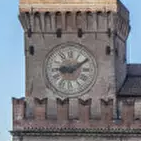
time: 9:09
